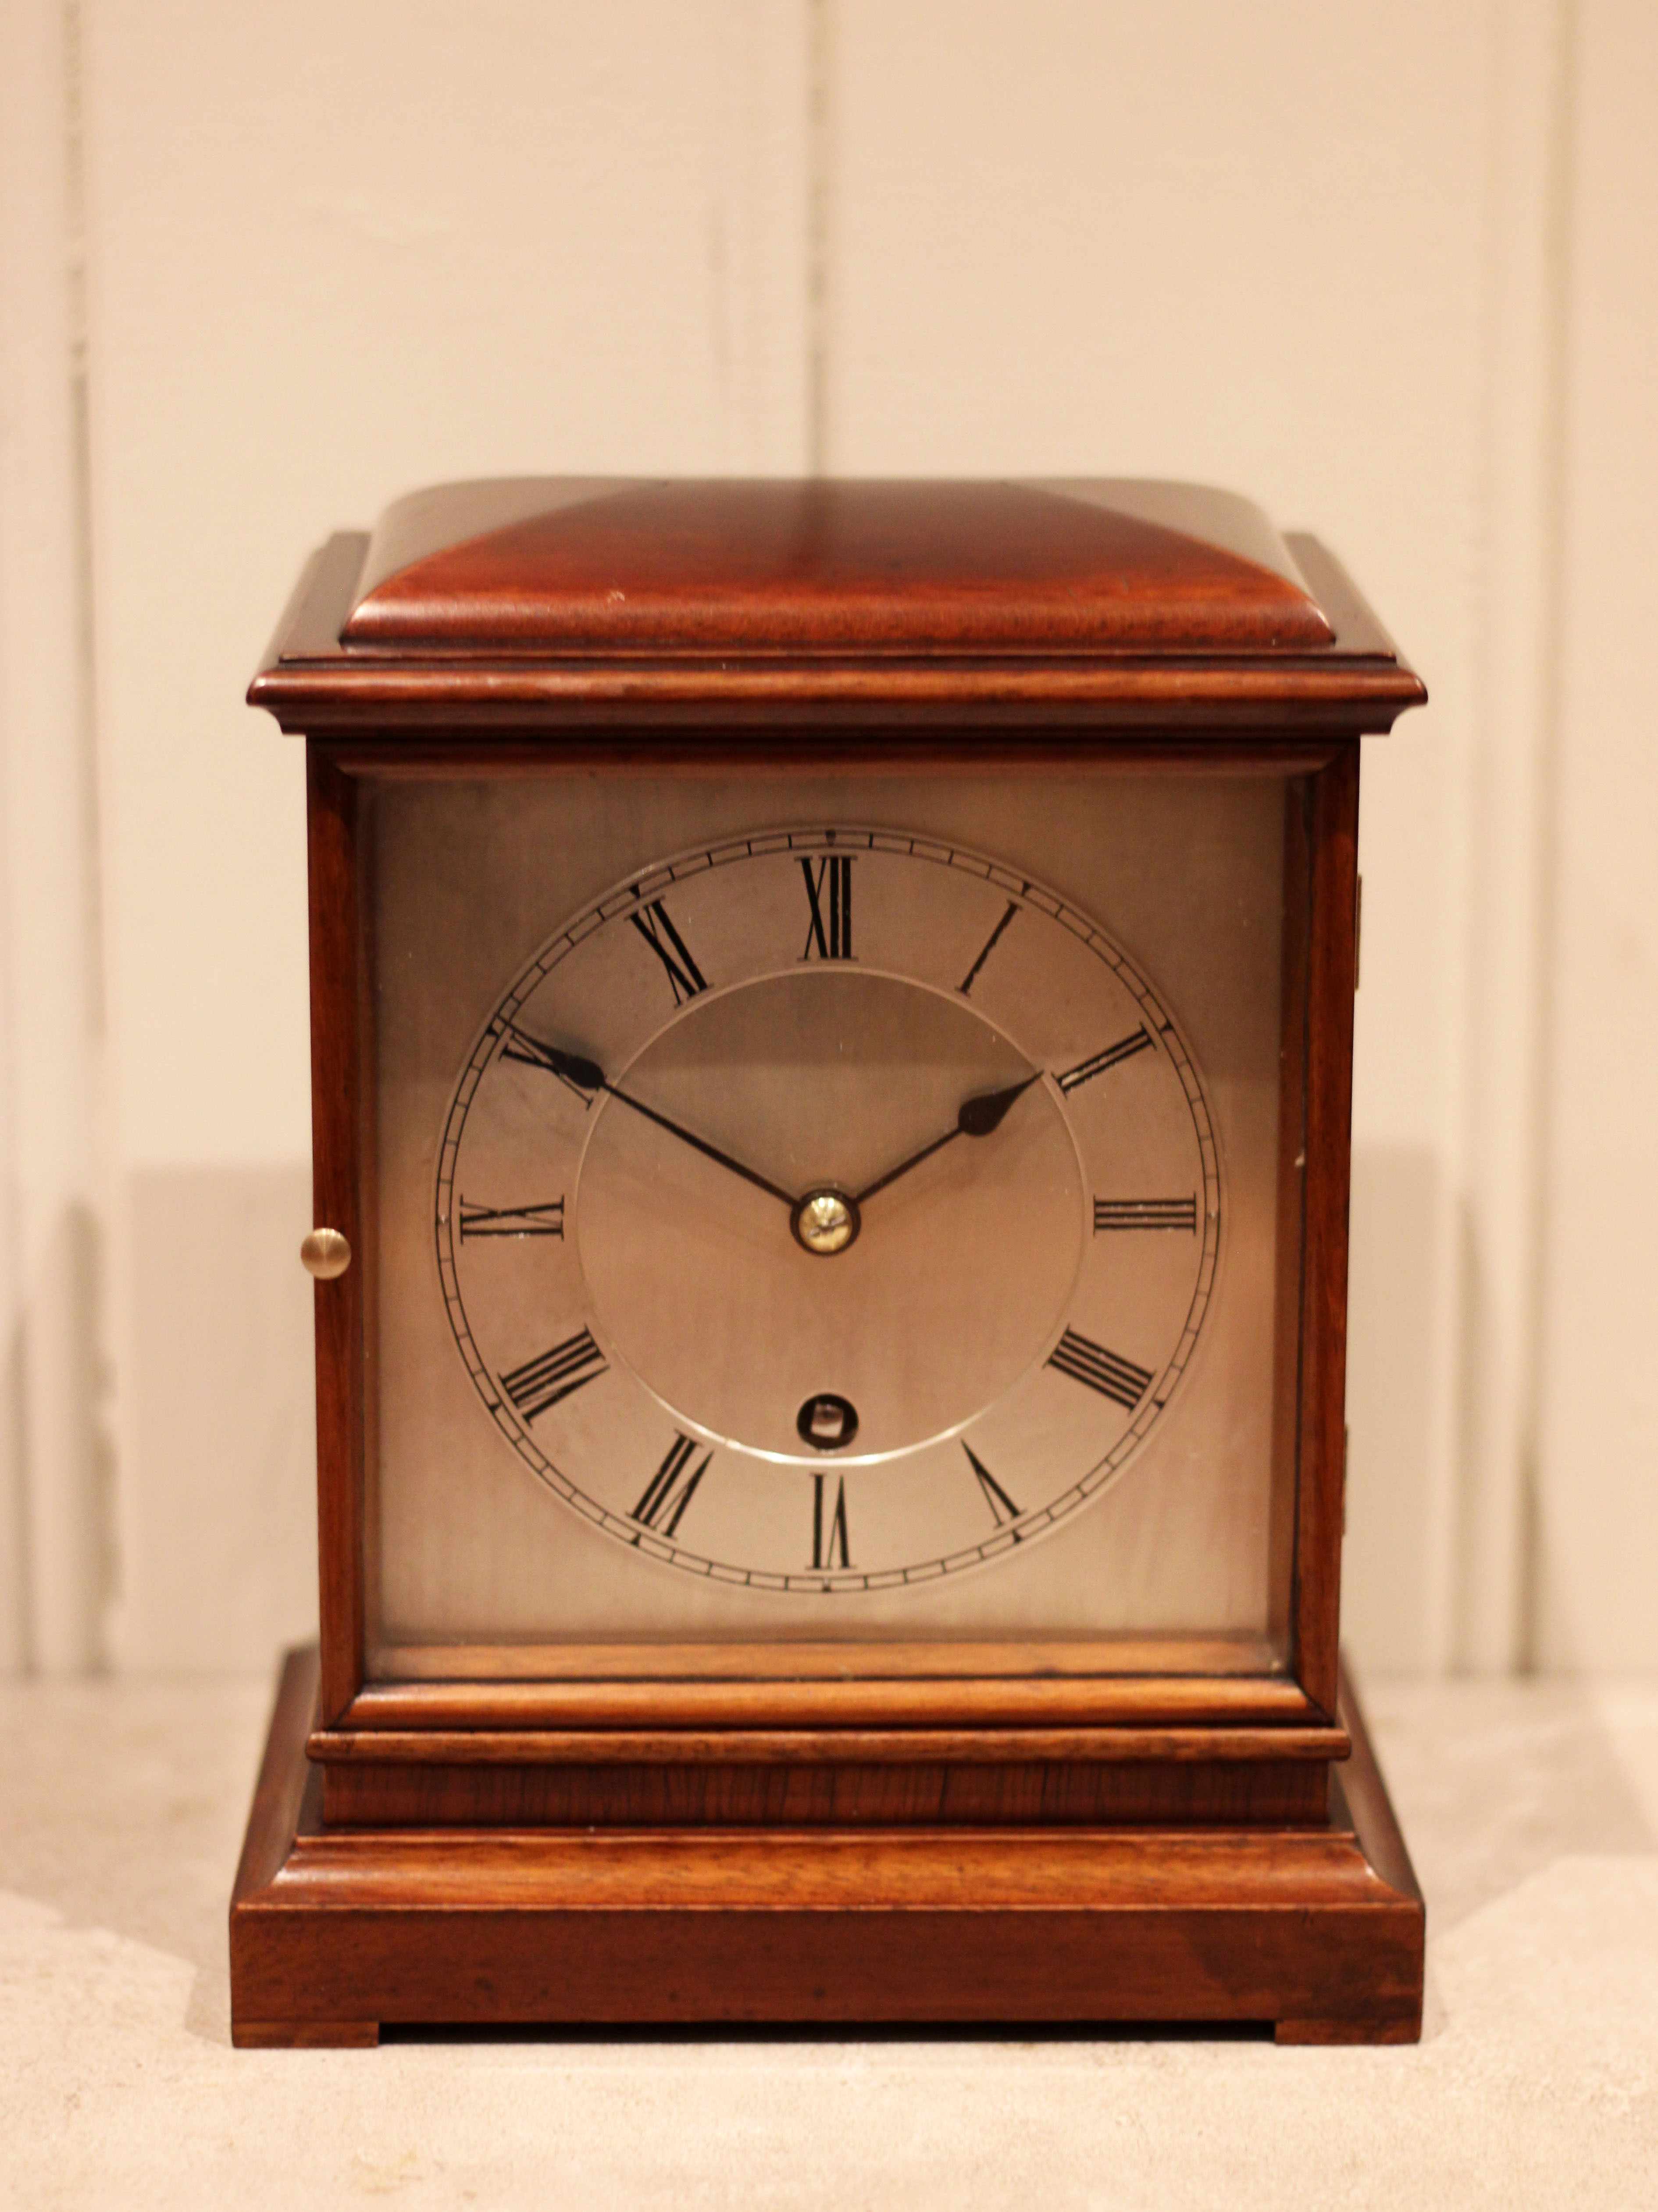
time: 1:50
